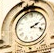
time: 2:18
